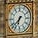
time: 6:37
